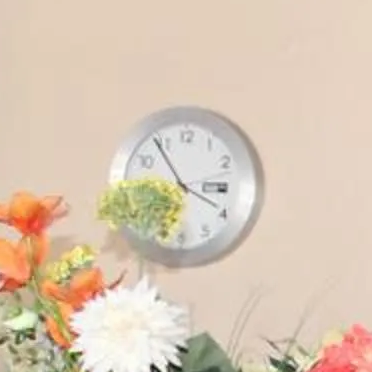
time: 3:54
